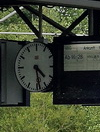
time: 4:28
